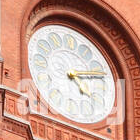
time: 4:12
